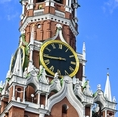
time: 8:43
